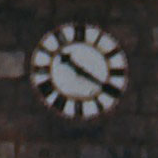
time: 10:20
